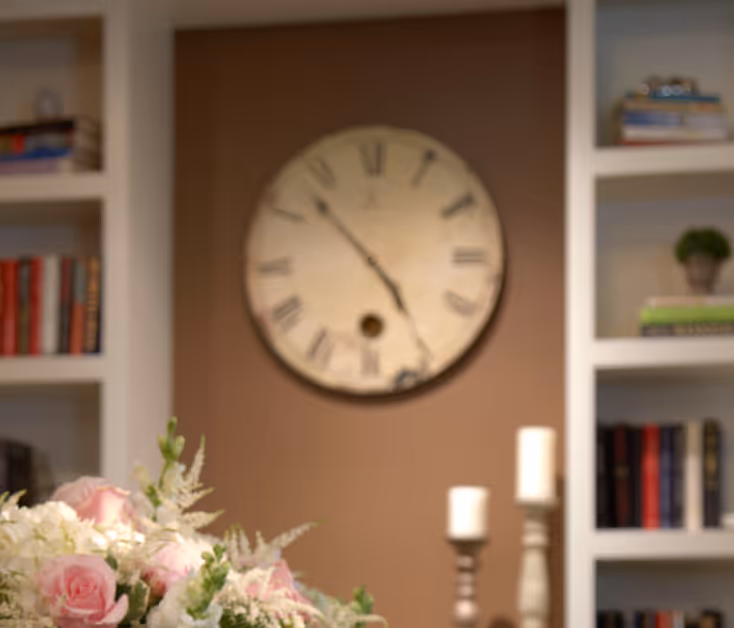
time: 4:52
